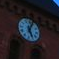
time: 5:03
